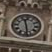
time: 11:28
